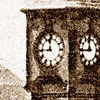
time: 11:44
